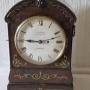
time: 9:12
